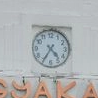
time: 4:35
